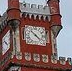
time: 4:22
